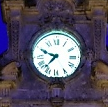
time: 9:36
